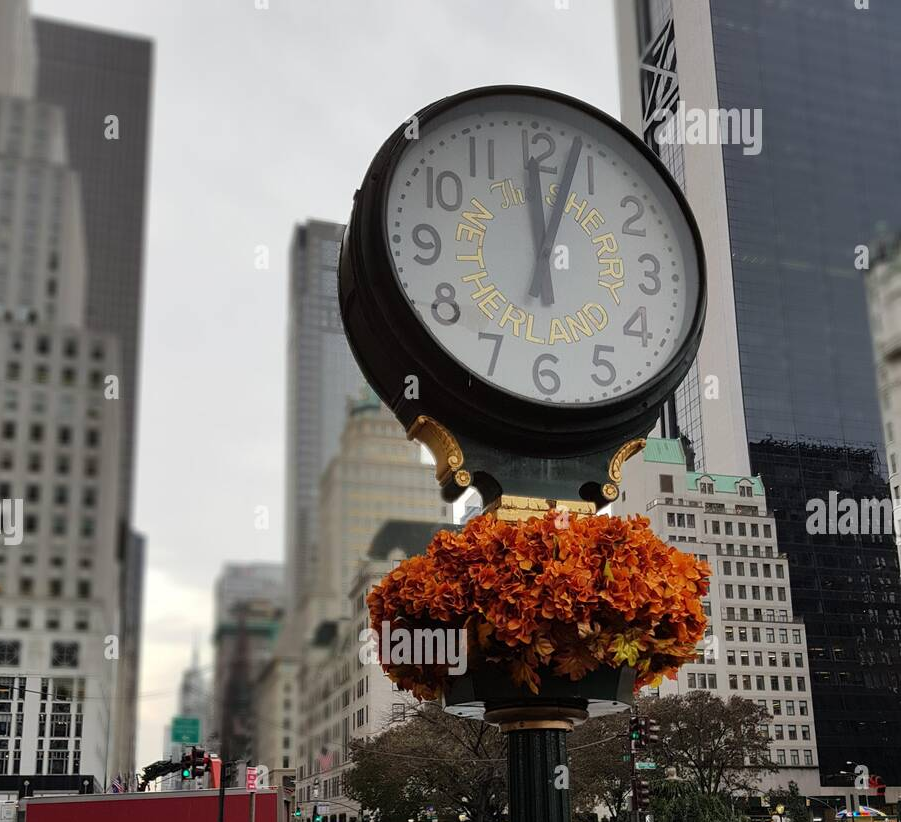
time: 12:03
